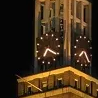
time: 7:20
